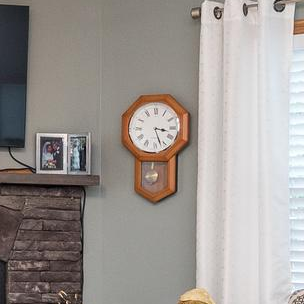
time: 3:27
